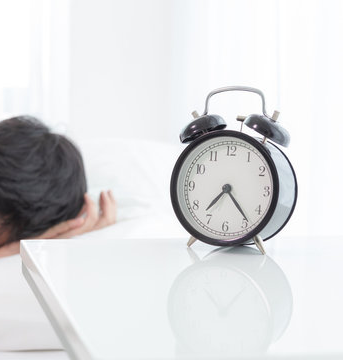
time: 7:23
